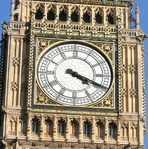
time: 4:19
